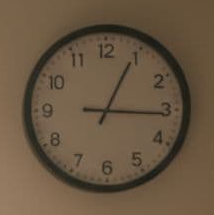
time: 3:04
